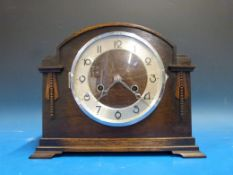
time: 7:21
